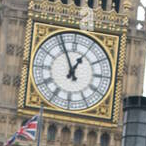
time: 12:56
